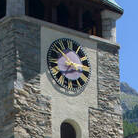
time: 7:14
